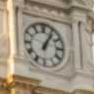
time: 1:05
